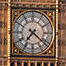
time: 7:21
